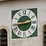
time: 2:44
